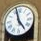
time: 4:57
